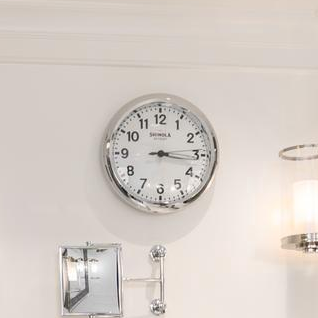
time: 3:14
